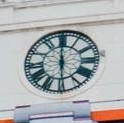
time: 5:59
